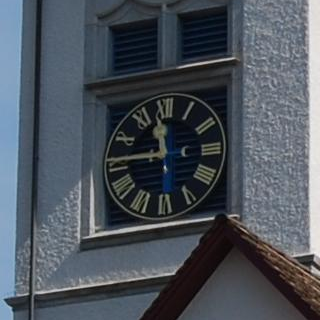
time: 11:45
